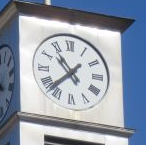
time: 10:37
